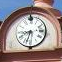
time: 8:33
